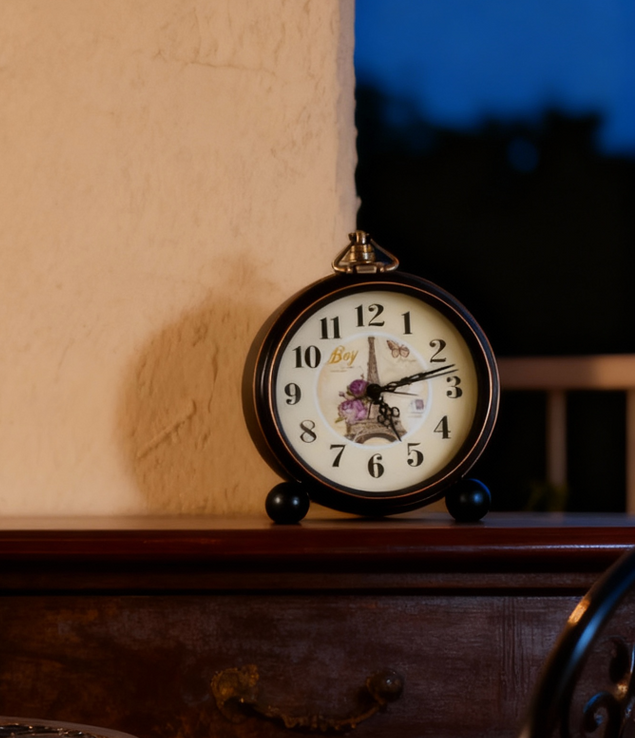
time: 5:12
